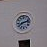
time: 8:12
